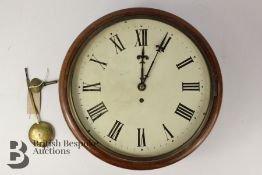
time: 12:04
